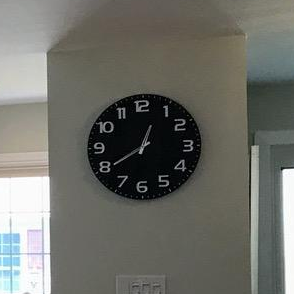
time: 12:39
